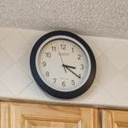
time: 3:20
